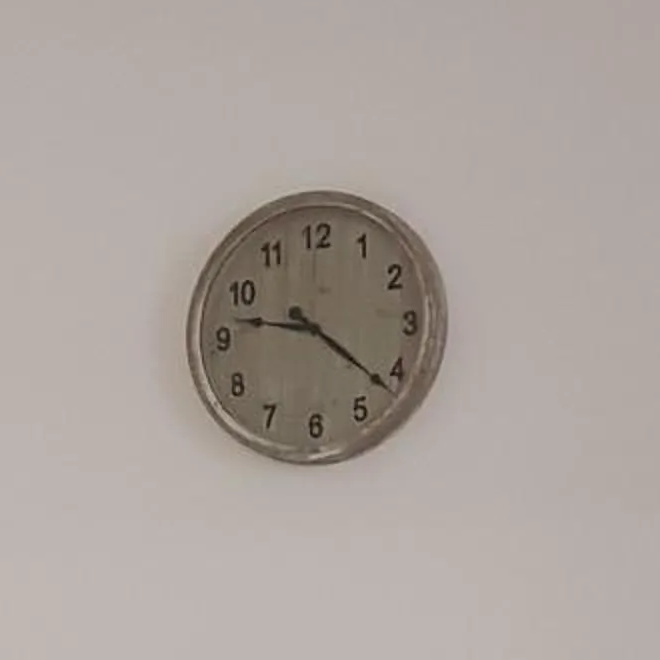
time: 9:21
